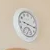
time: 9:16
